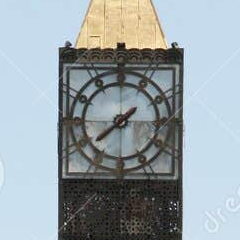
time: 7:38
